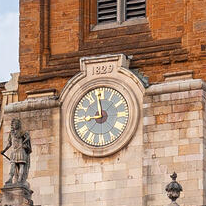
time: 8:58
